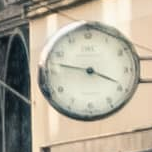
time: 3:47
